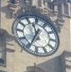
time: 11:34
